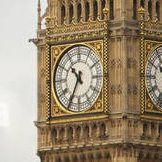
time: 10:34
